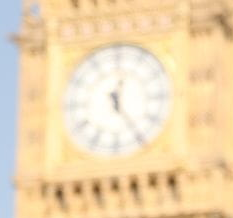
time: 12:24
